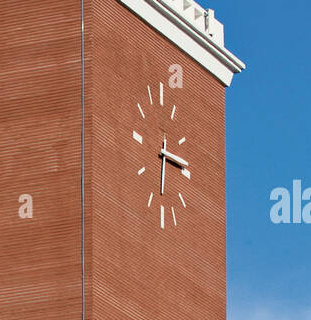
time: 3:32
